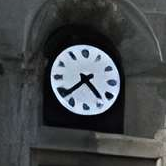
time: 4:38
